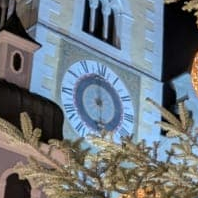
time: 5:59
